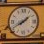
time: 1:40
